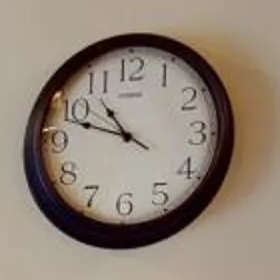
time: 10:48
